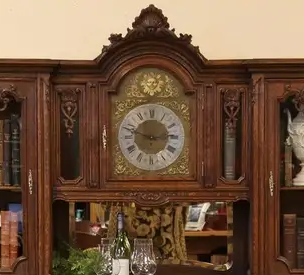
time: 2:47
